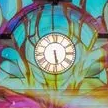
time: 5:29
